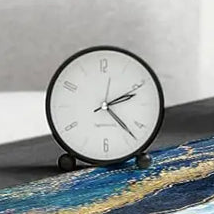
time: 2:23
